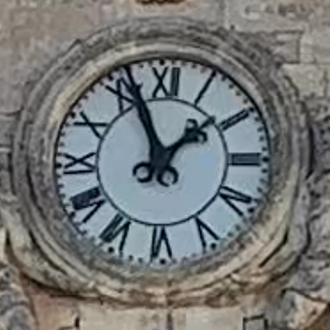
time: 1:56
